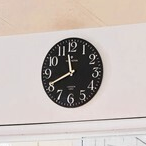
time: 11:40
